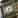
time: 5:08
